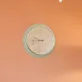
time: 9:43
